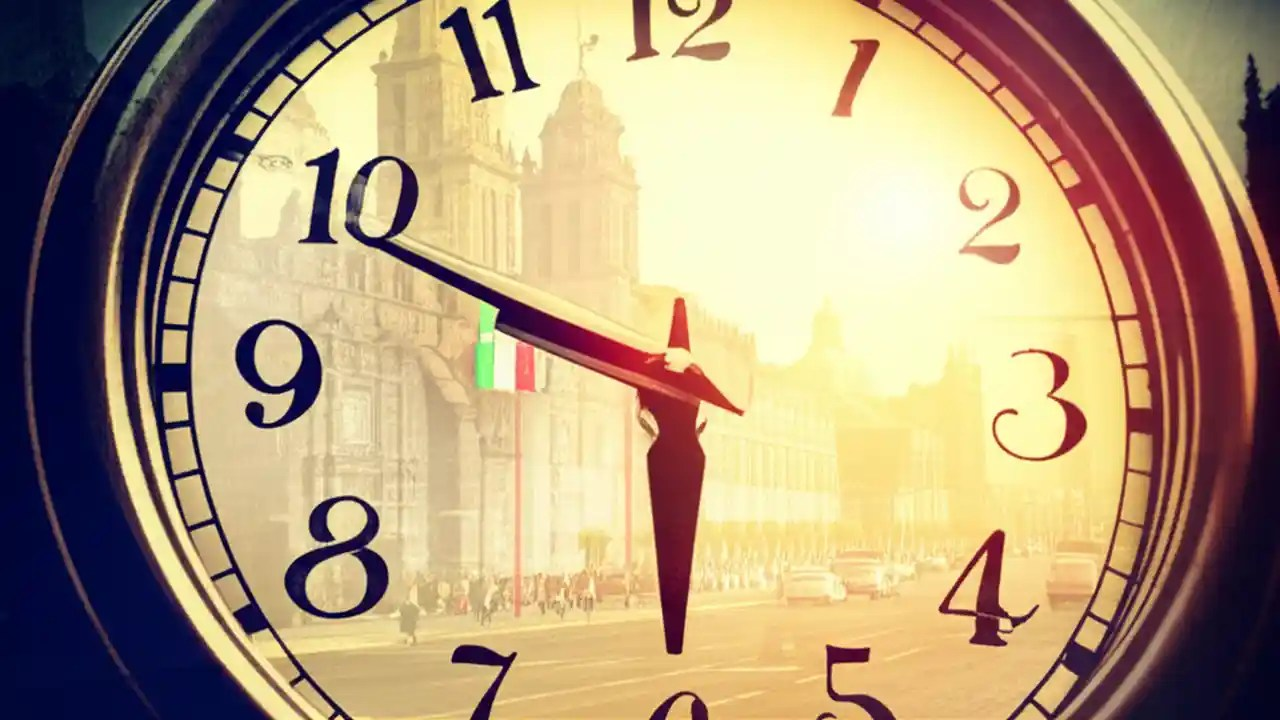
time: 5:49
